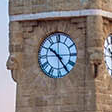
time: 10:24
